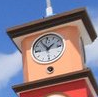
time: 1:54
